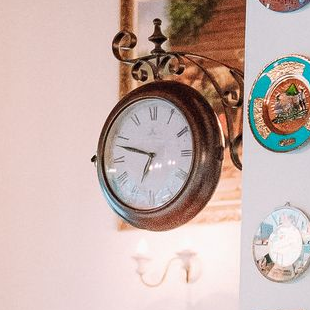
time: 6:47
